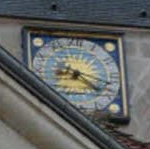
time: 4:17
